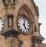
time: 5:02
